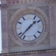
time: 1:37
